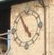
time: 4:54
